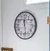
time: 12:28
